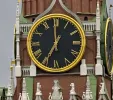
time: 6:59
